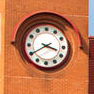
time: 3:39
